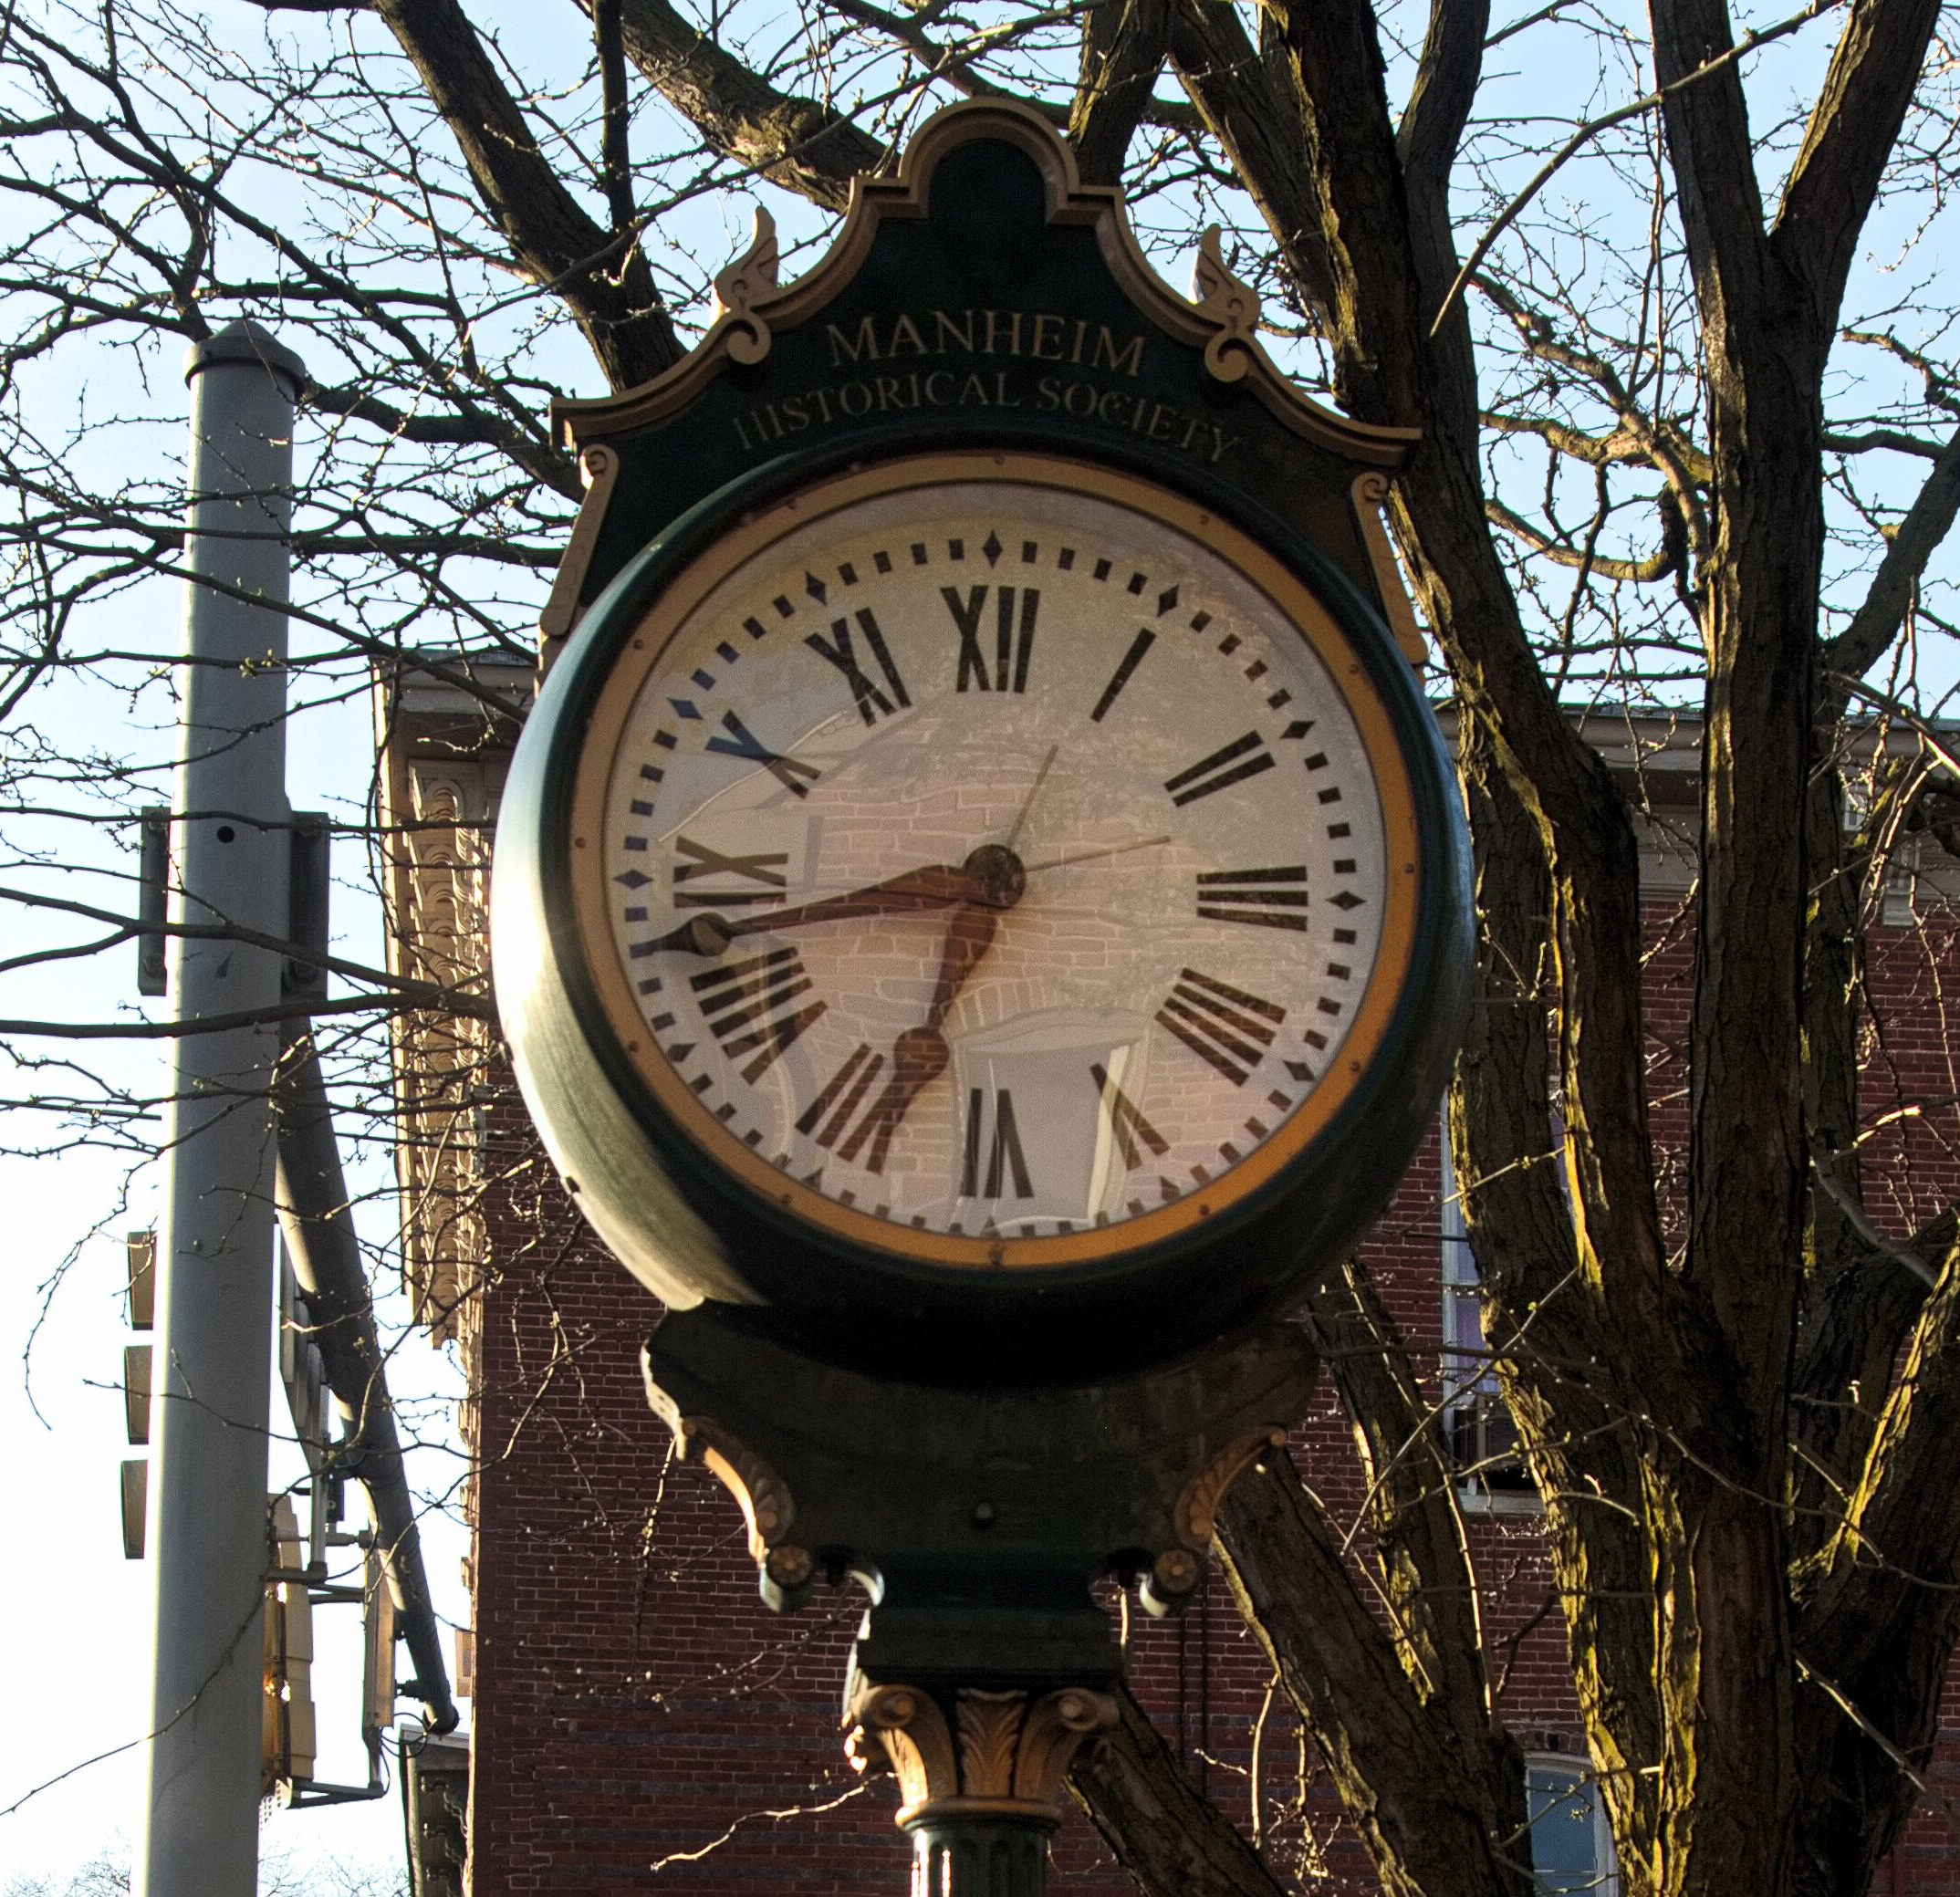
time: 6:42
